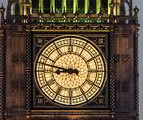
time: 8:47
